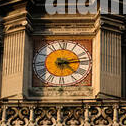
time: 4:13
